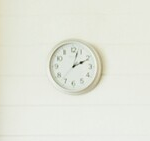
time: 2:02
